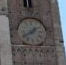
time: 1:40
